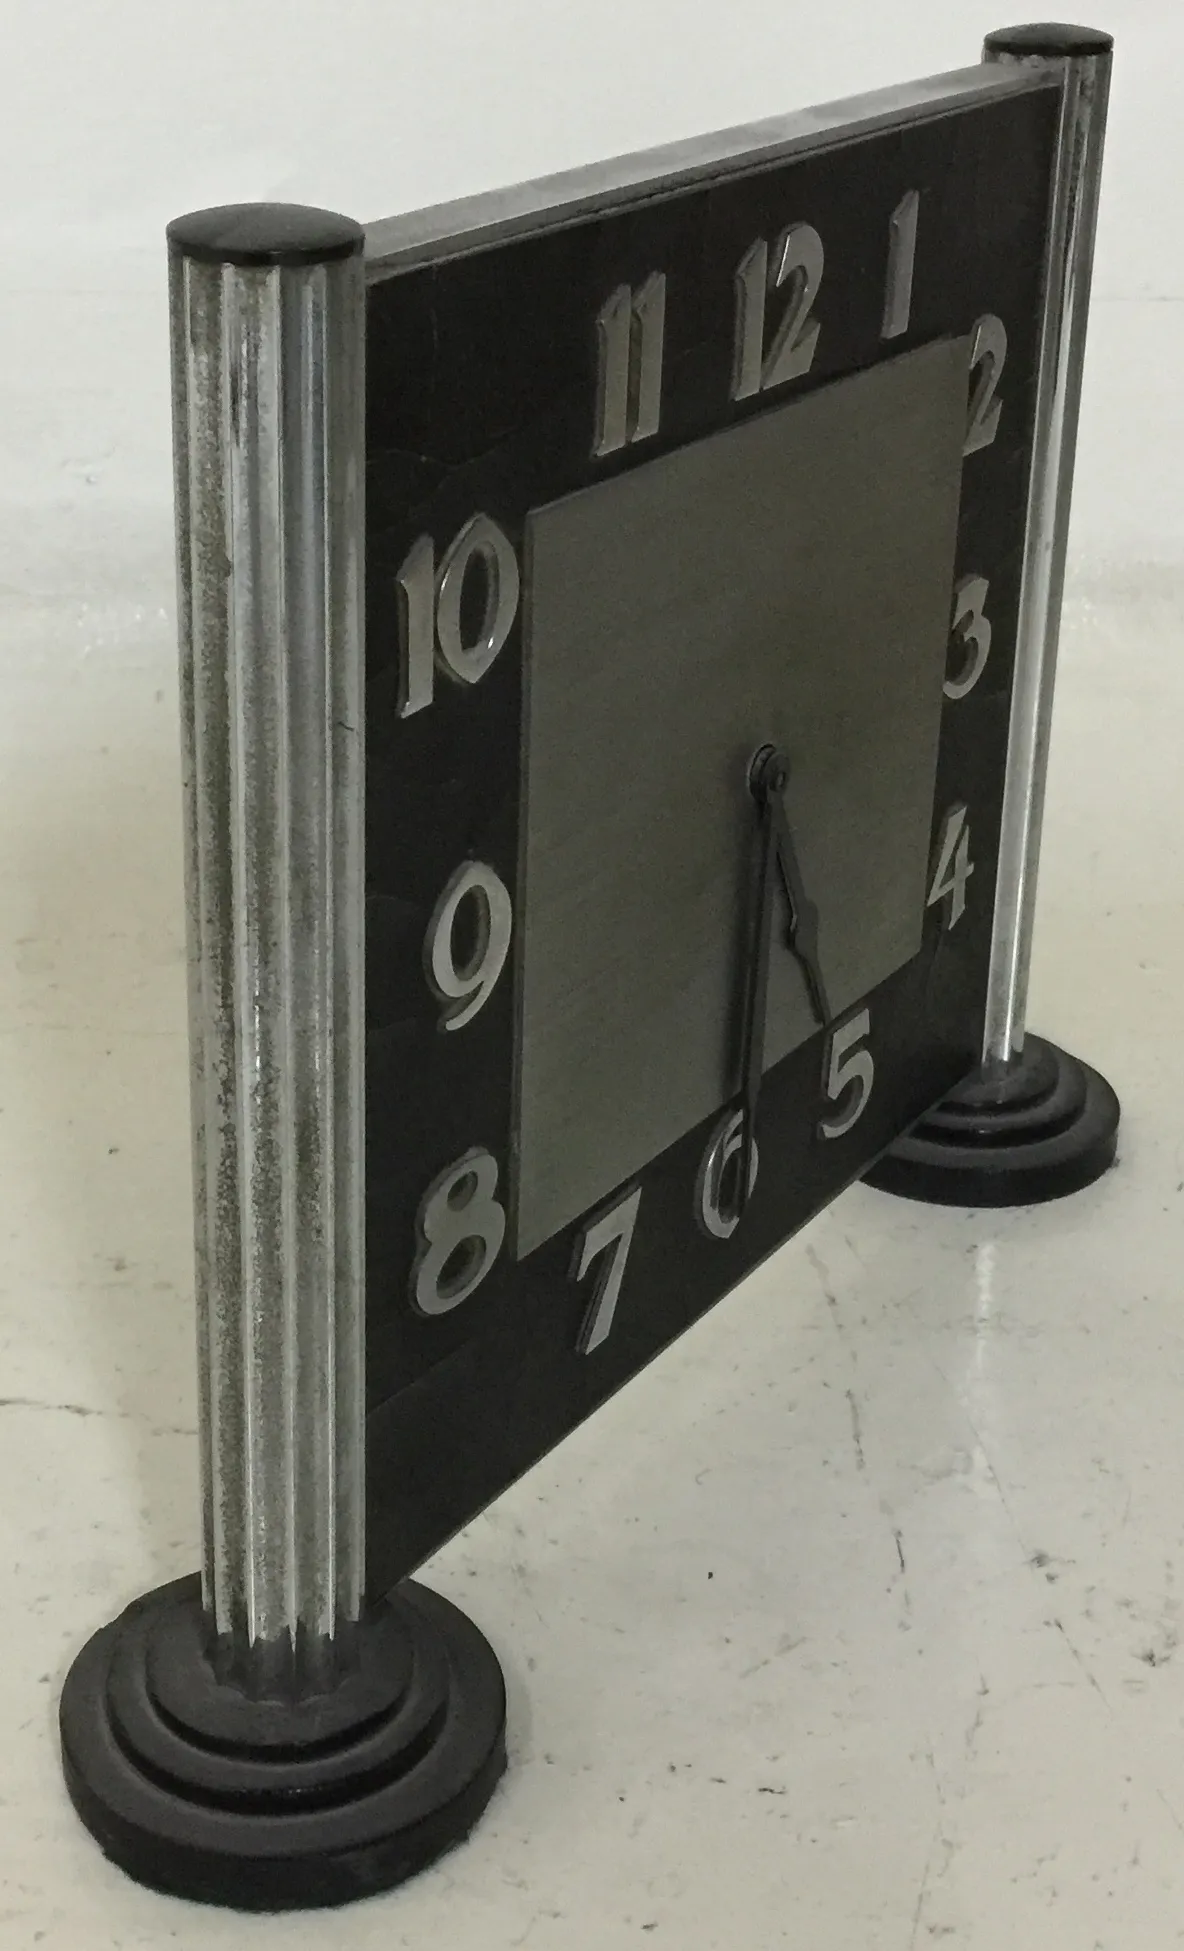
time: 6:25
